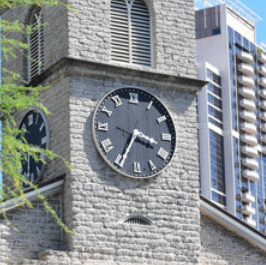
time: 3:34
